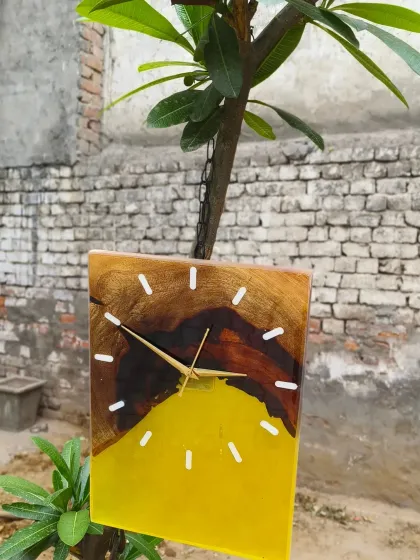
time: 2:49
